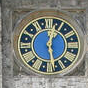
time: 12:26
